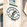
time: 1:33
